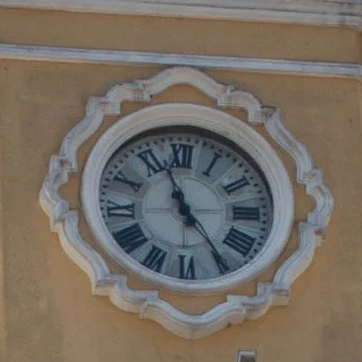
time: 11:24
